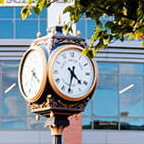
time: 4:31
